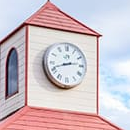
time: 2:41
